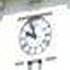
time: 9:57
